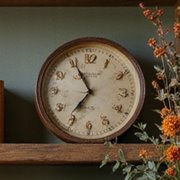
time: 6:55
